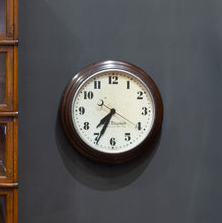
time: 7:34
